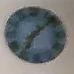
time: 7:08
